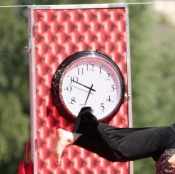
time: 6:49
